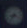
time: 8:36
